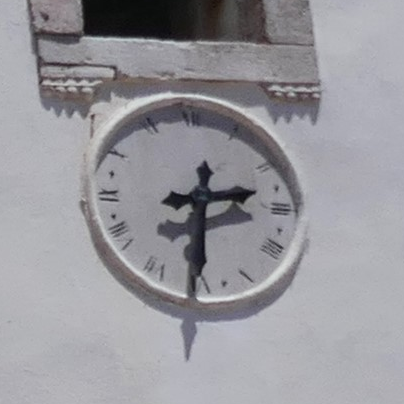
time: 2:30
